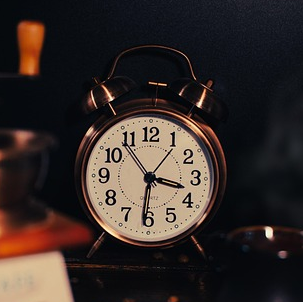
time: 3:31
